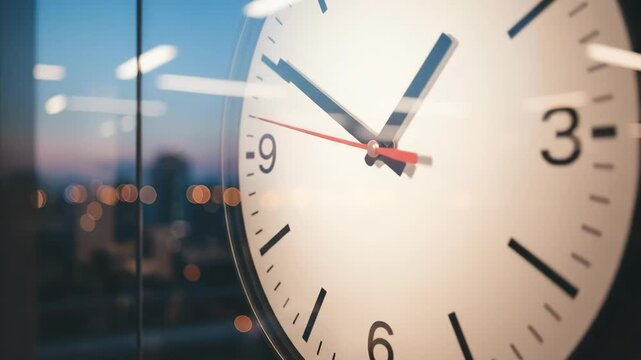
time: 12:50
